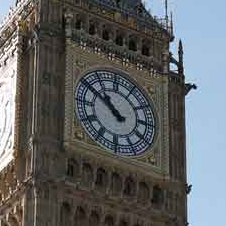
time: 10:50
